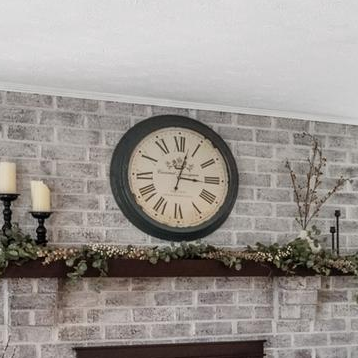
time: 3:02
